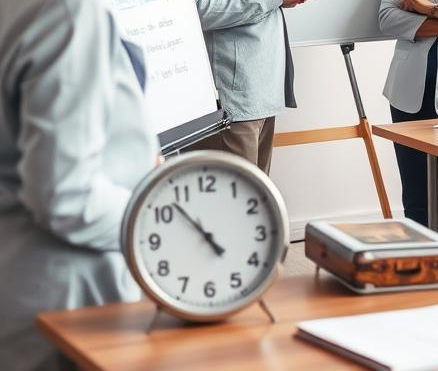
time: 4:52
